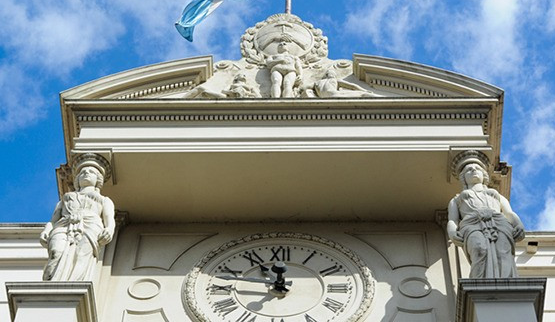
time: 11:55
